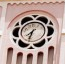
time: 7:32
